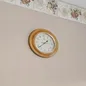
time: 1:38
